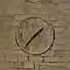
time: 1:36
